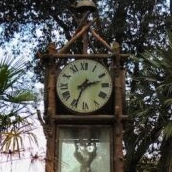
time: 2:34
